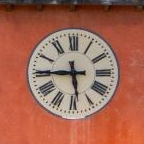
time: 5:45
